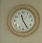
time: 11:24
